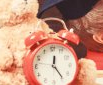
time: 12:23
